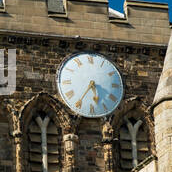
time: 5:35
